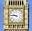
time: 9:45
